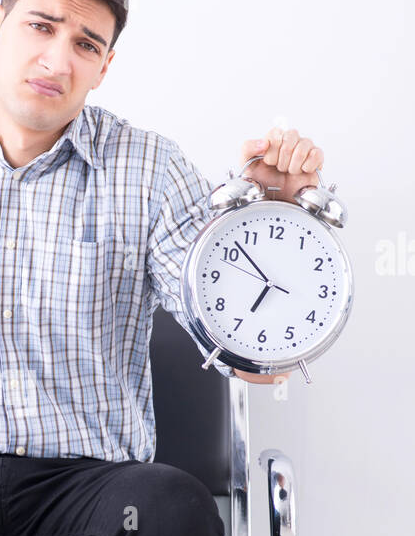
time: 6:52
